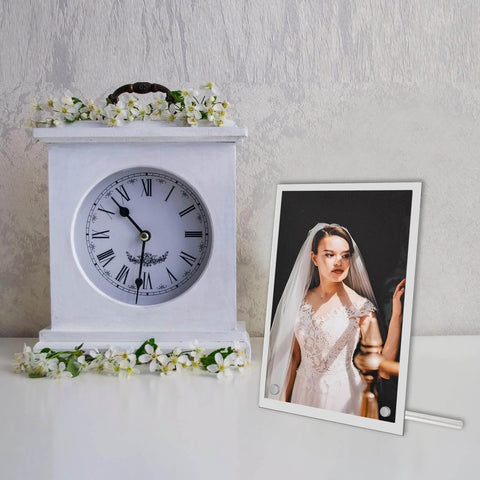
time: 10:31
